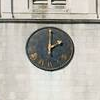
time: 2:01
